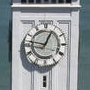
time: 12:46
